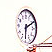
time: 6:10
